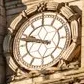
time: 9:47
